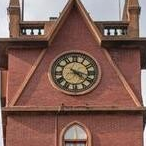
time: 4:17
